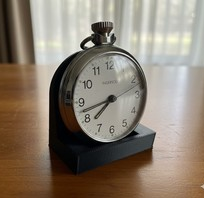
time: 7:42
